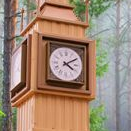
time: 4:09
